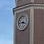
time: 3:43
